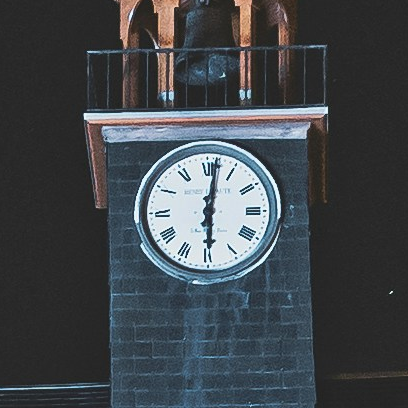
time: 6:01
